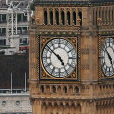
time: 4:51
